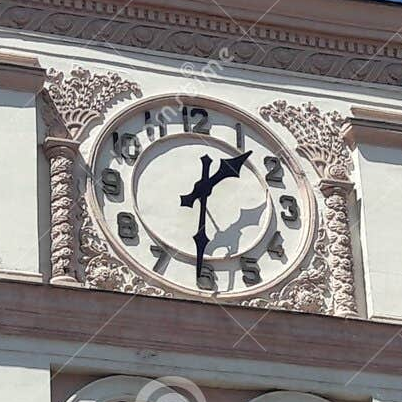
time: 1:31
